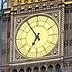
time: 6:54
